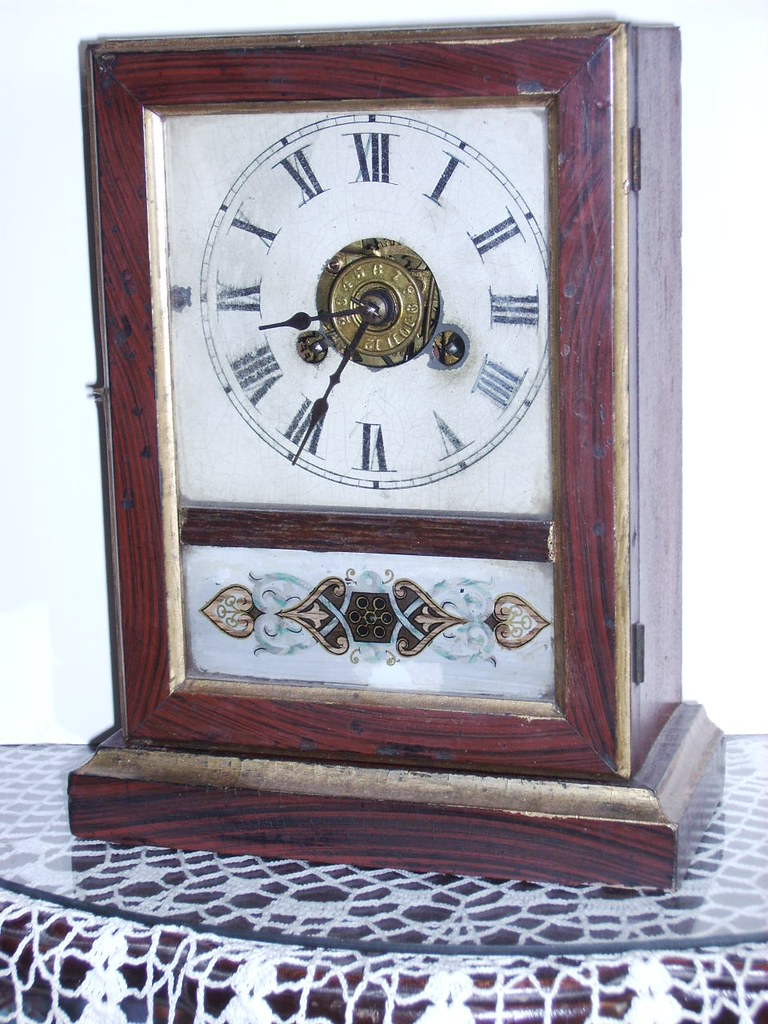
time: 3:34
